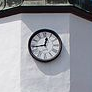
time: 12:43
